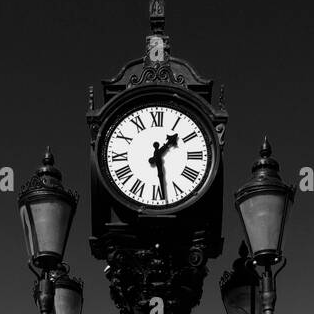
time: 1:28
